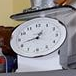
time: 12:42
